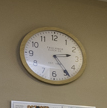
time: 2:24
